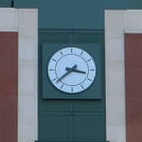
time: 3:38
